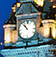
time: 10:52
